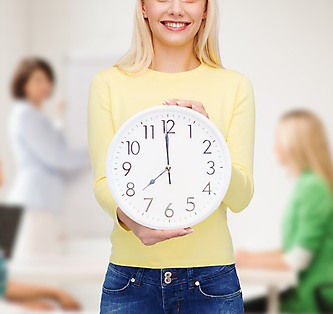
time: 7:59
